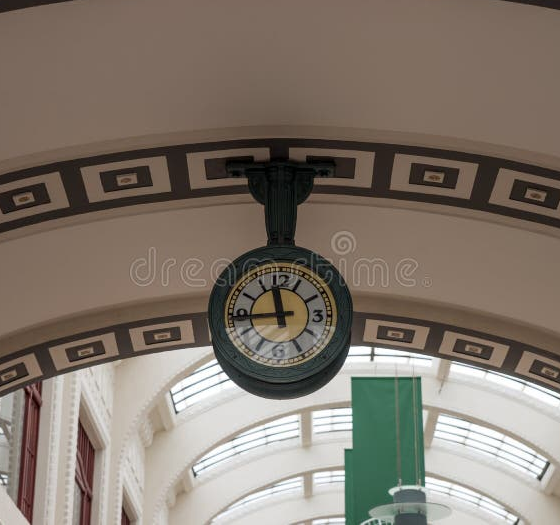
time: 11:43
